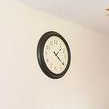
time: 1:21
